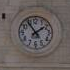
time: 1:54
